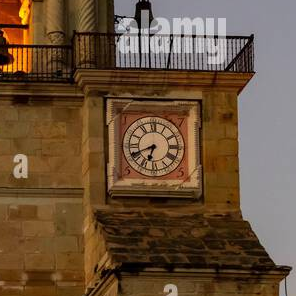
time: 6:41
